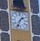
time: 1:33
